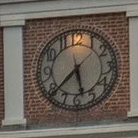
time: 5:38
